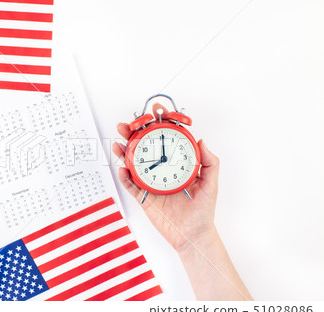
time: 8:00
